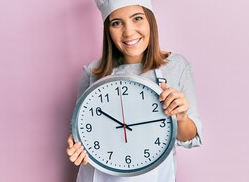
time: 10:13
